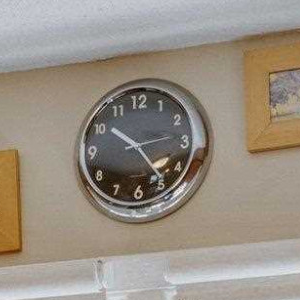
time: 10:24
